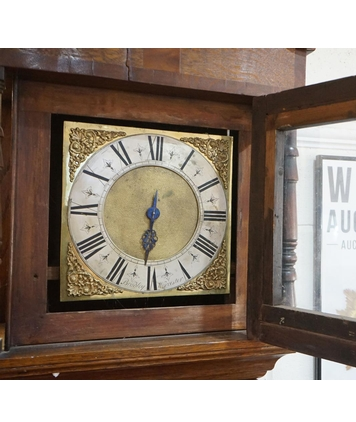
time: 6:31
